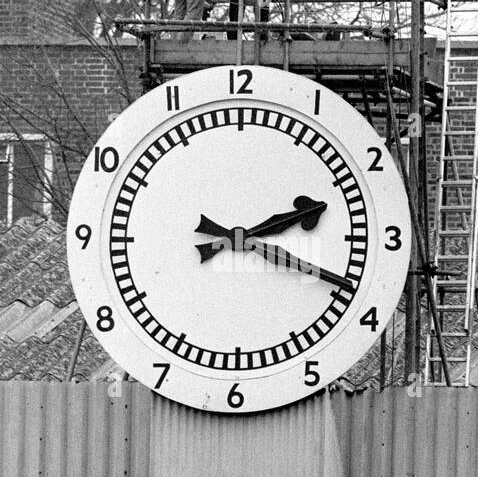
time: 2:18
